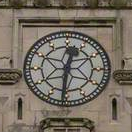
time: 12:30
